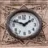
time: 1:47
